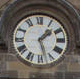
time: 1:27
